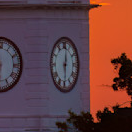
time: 6:01
